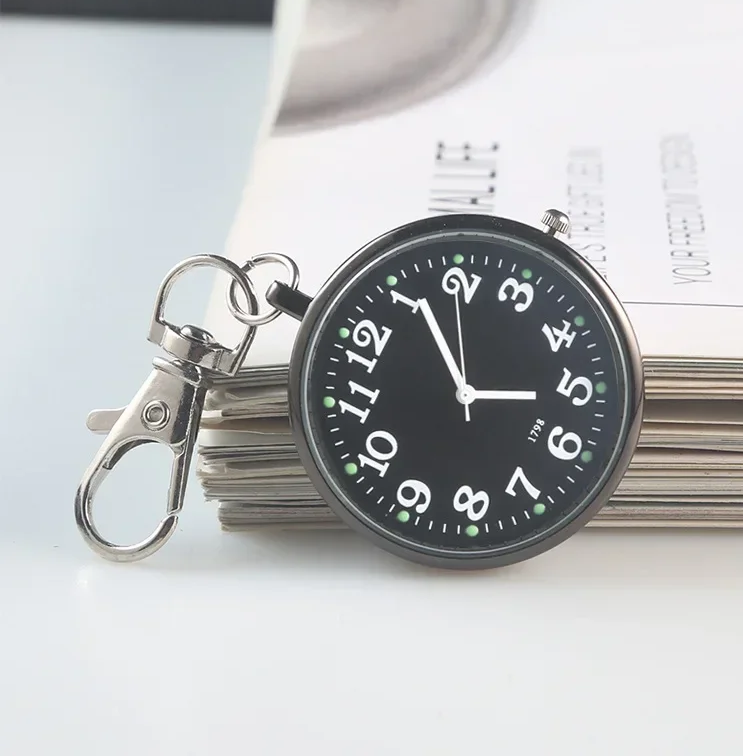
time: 2:56
